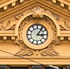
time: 3:06
